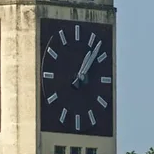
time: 1:07
